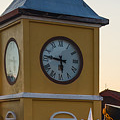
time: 5:46
